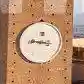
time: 9:16
